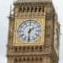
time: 1:31
